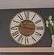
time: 9:16
